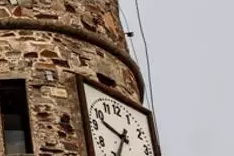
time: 9:34
